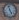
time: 4:57
